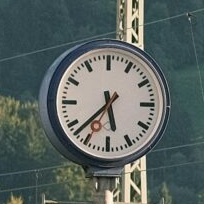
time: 5:37
